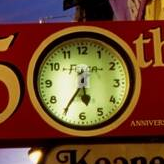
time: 5:35
